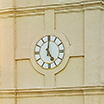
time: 5:00
